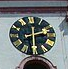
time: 2:30
